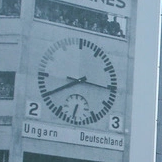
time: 8:15
